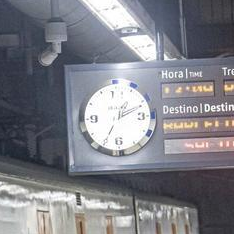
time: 1:11
